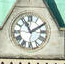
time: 11:10
